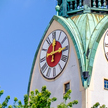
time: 12:14
